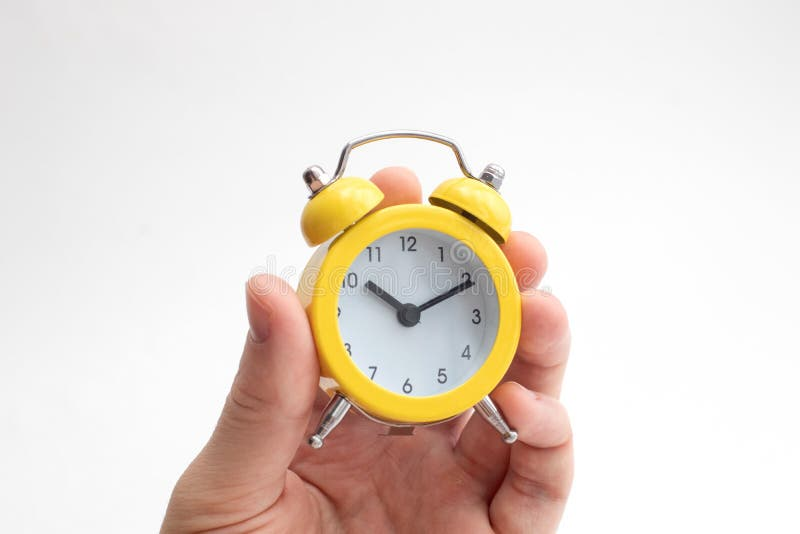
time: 10:10
